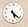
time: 5:21
